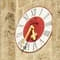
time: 5:34
